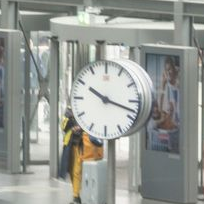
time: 10:17
